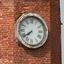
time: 7:39
